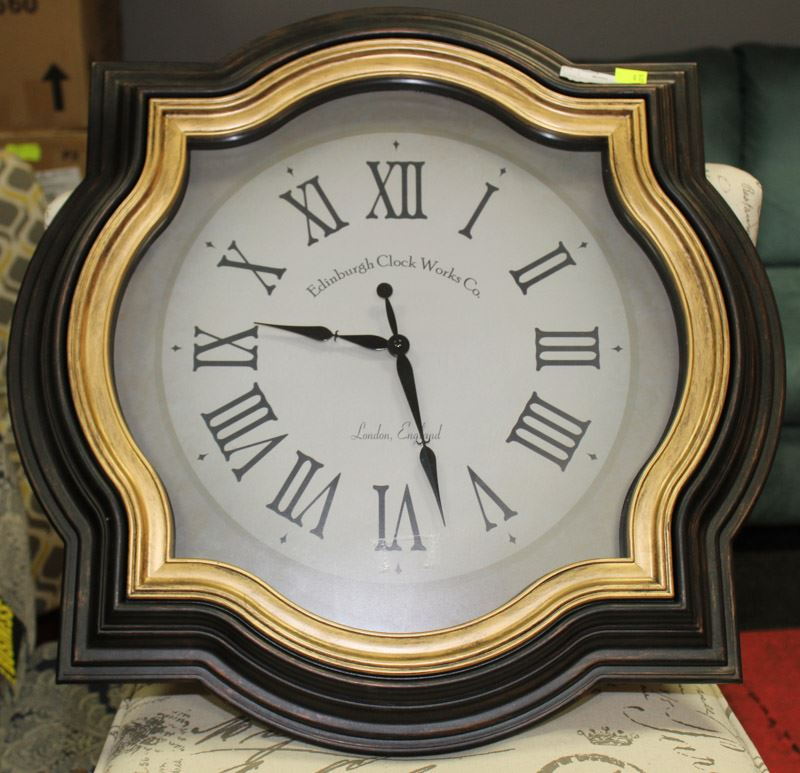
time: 9:27
